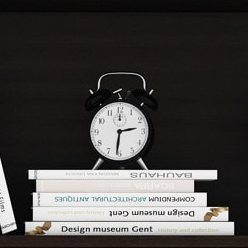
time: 2:31
